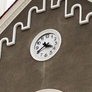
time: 3:40
